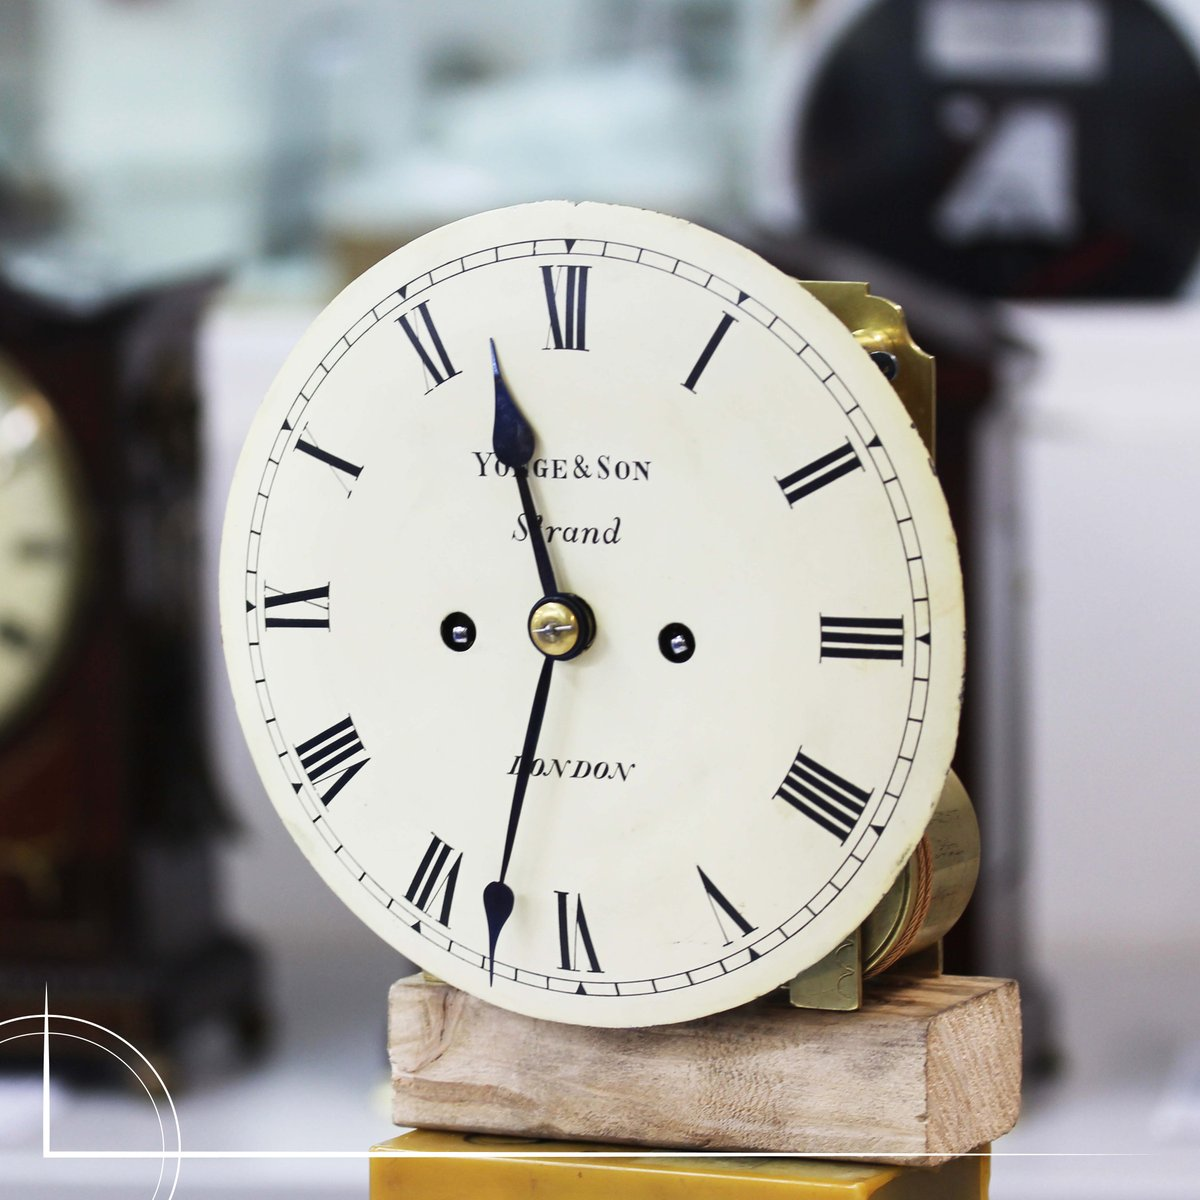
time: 11:32
